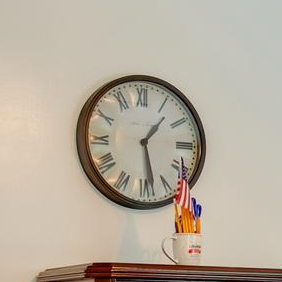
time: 1:28
